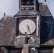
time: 5:26
